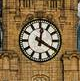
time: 12:20
